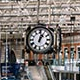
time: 1:01
